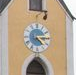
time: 4:14
